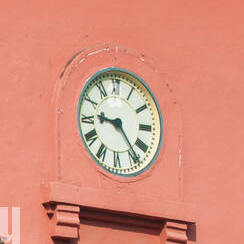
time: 9:23
